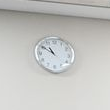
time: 10:50
